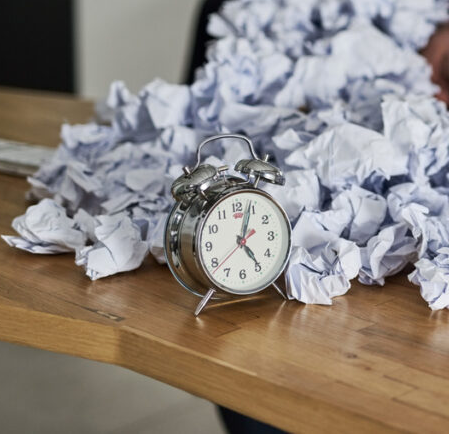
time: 5:03
